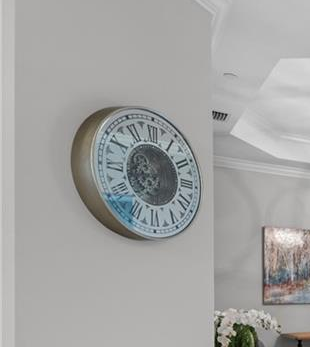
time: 10:35
